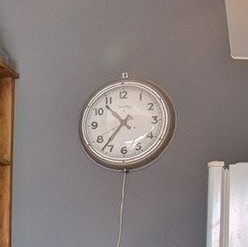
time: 10:36
